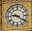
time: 9:21
